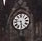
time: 5:46
